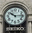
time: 10:14
